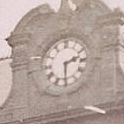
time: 2:30
